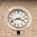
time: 3:41
